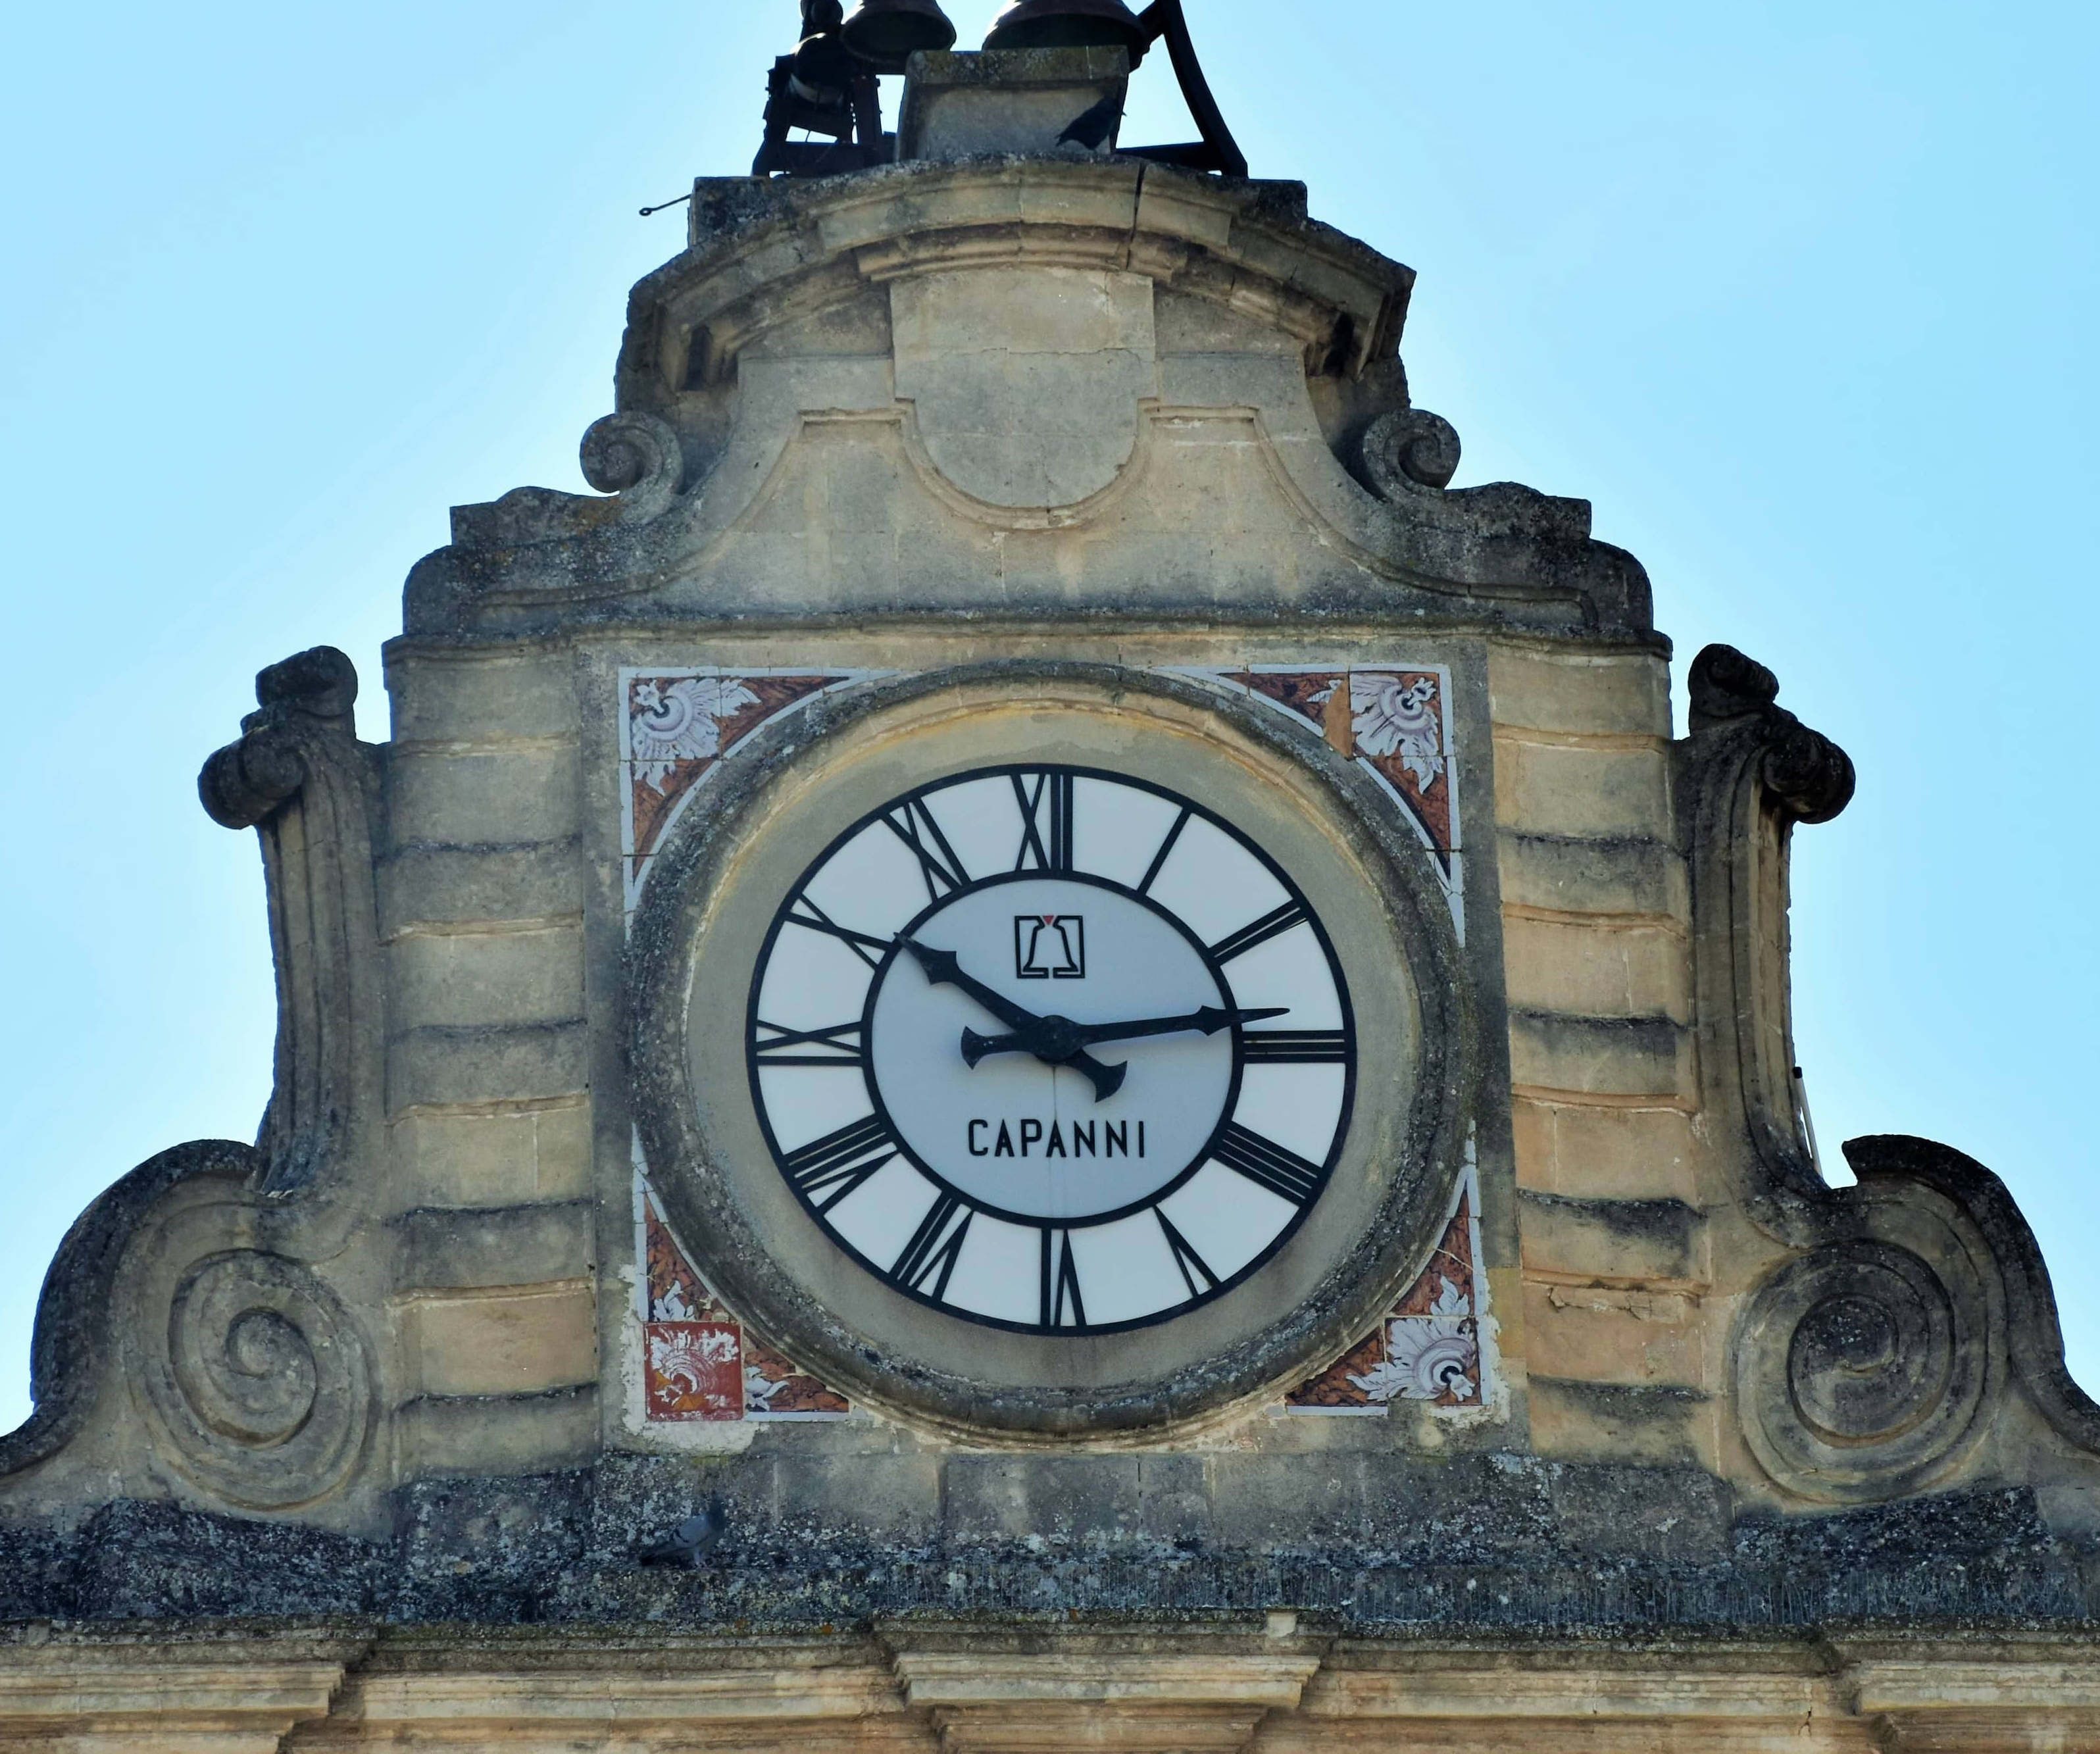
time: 10:13
